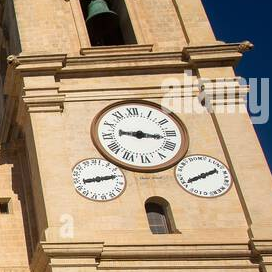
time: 9:16
